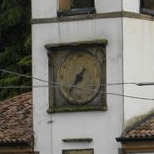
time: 7:37
